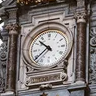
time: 10:38
